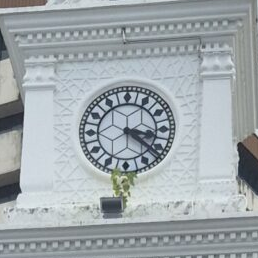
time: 3:21
